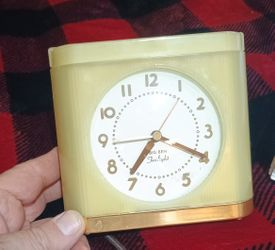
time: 7:19
